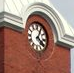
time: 4:04
